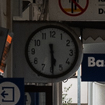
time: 5:29
